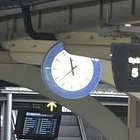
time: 11:37
